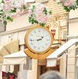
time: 1:43
